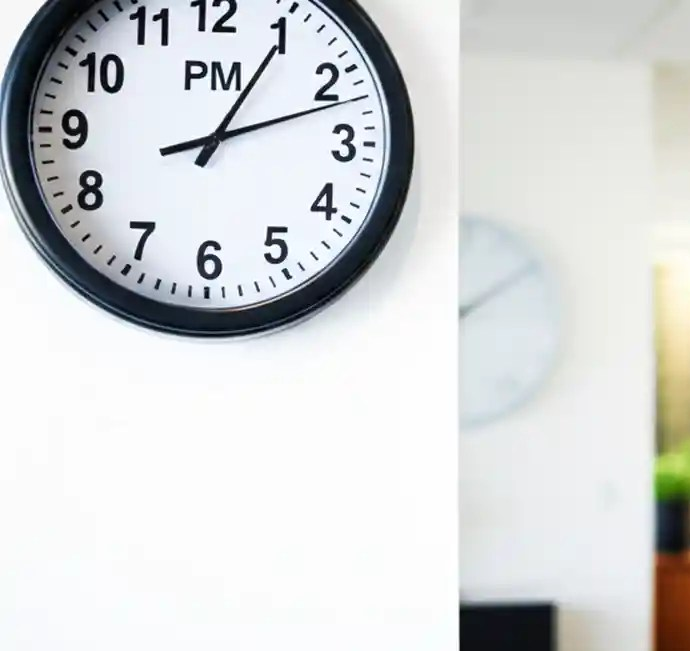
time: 1:11
